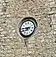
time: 7:44
